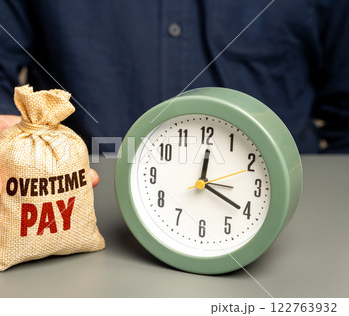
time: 12:19
